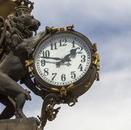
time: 1:47
